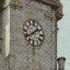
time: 1:39
